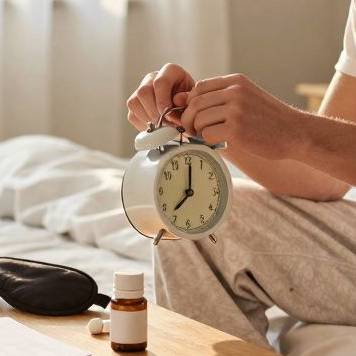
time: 7:01
